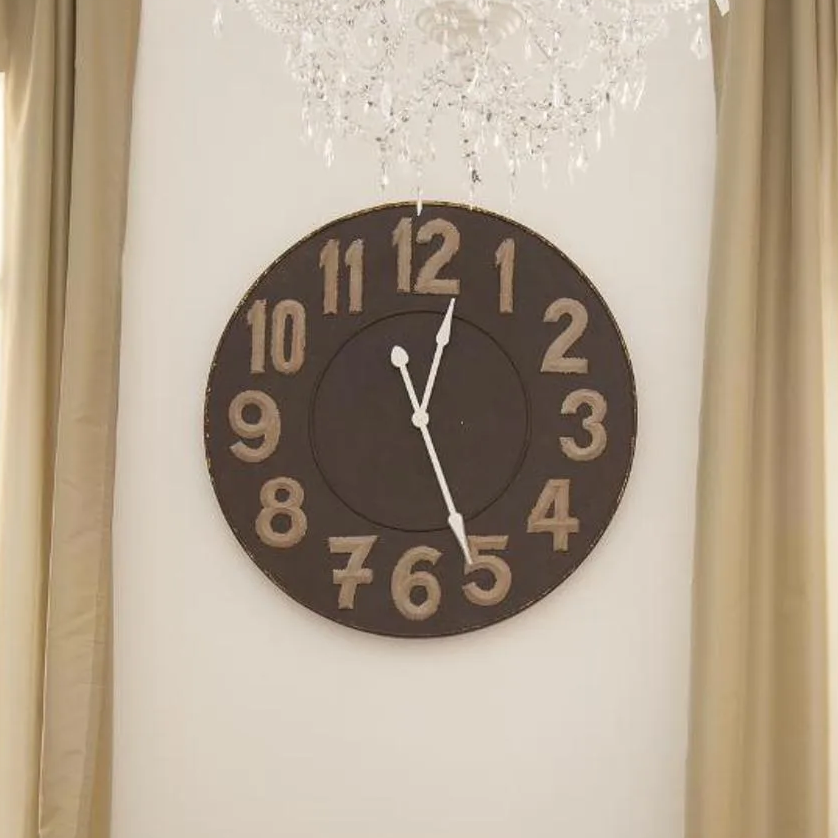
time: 12:26
